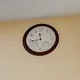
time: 11:43
